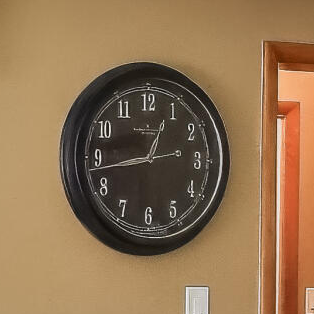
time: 12:43
